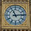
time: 11:13
